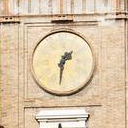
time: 1:31
